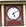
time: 5:09
